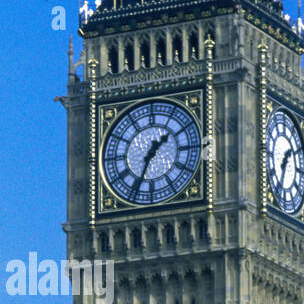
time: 1:34
